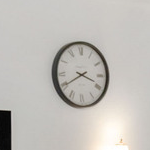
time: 3:40
